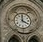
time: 4:00
